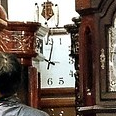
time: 10:02
